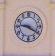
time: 9:20
